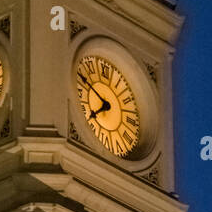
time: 7:49
